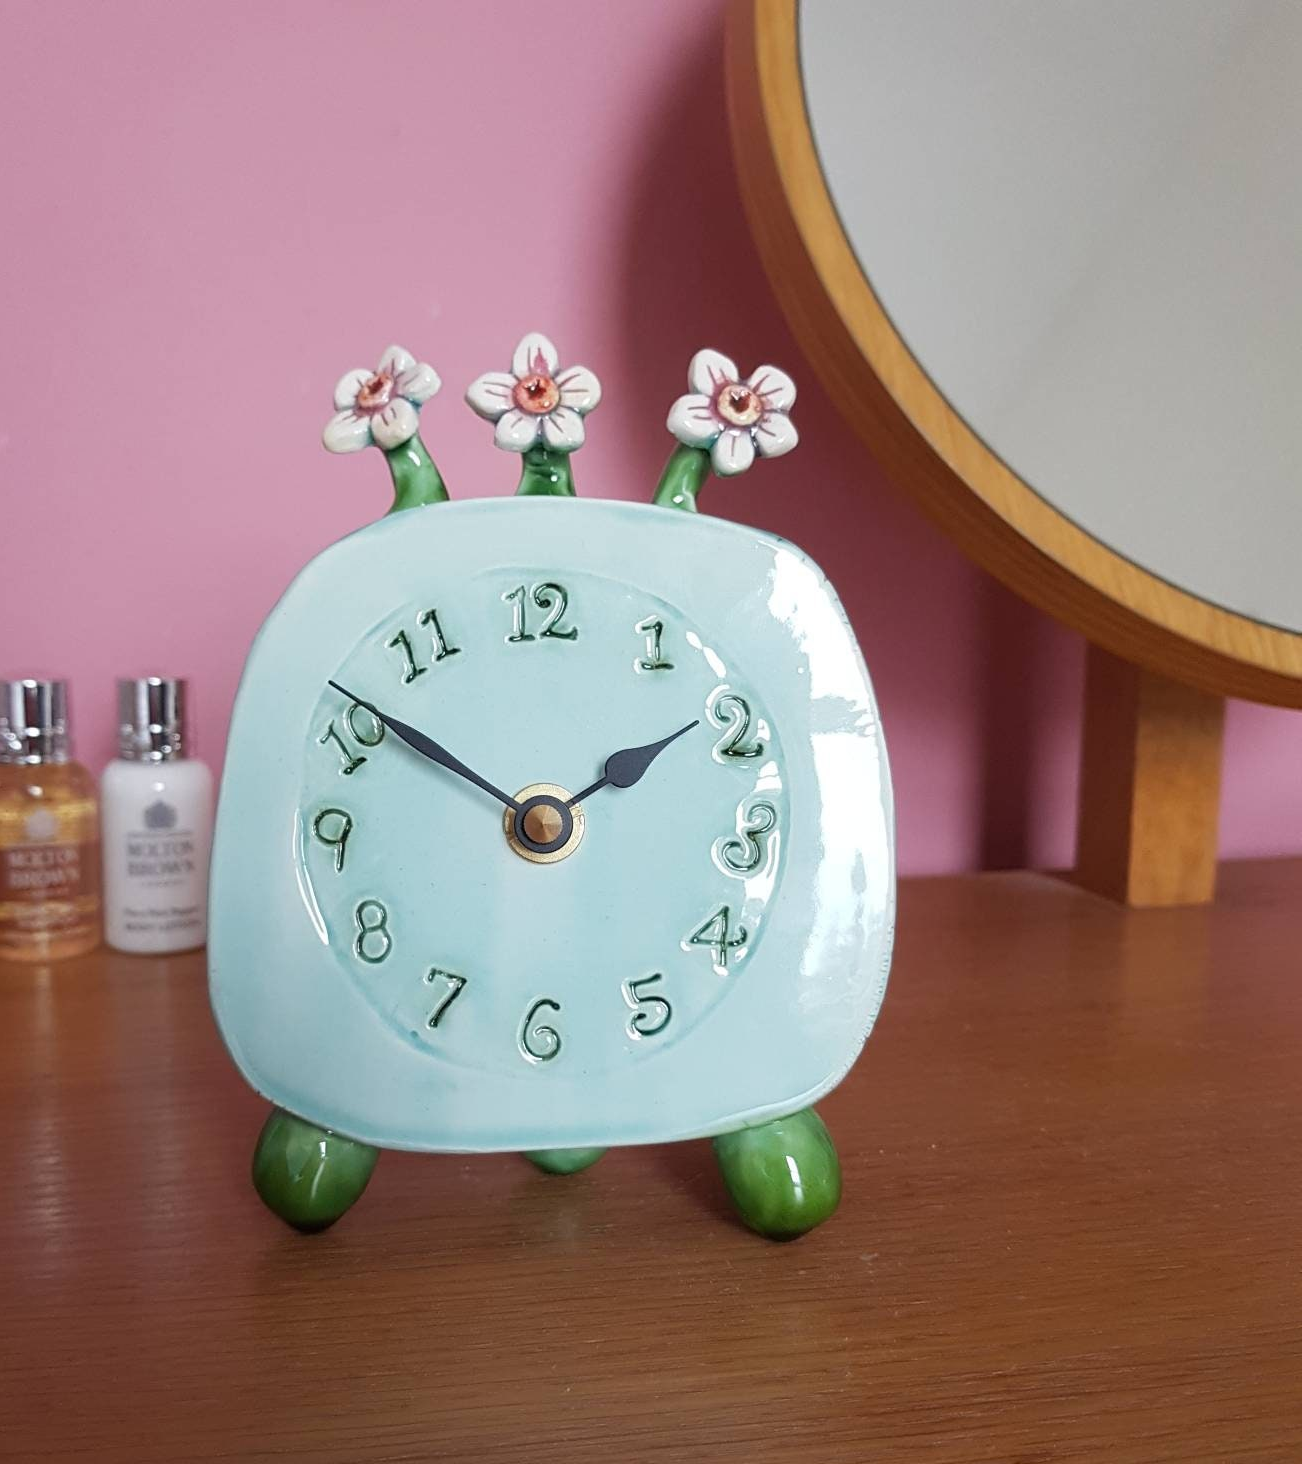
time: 1:50
